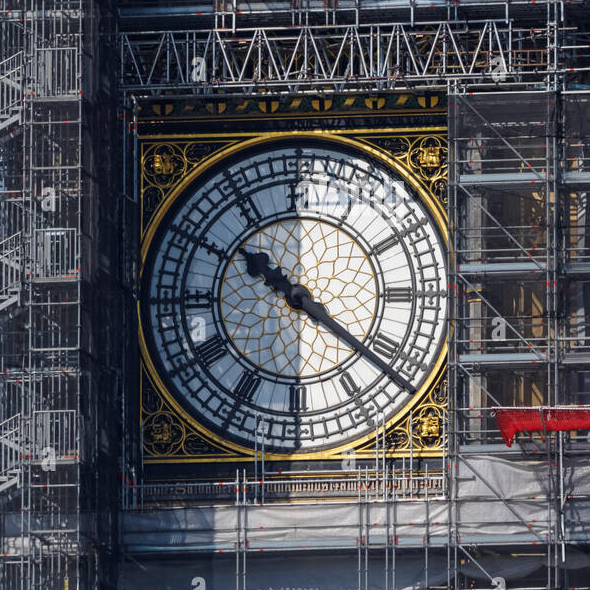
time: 10:21
